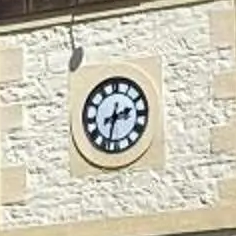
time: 2:32
